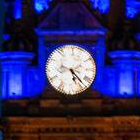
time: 5:23
